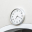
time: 7:18
